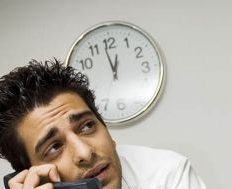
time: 12:58
